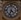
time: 4:33
